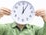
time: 12:05
